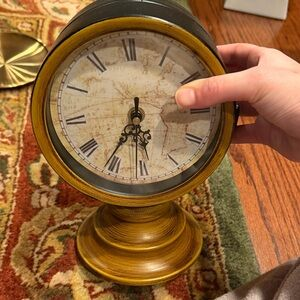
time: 5:35
